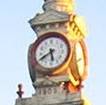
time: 5:40
